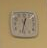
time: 12:32
